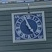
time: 4:57
